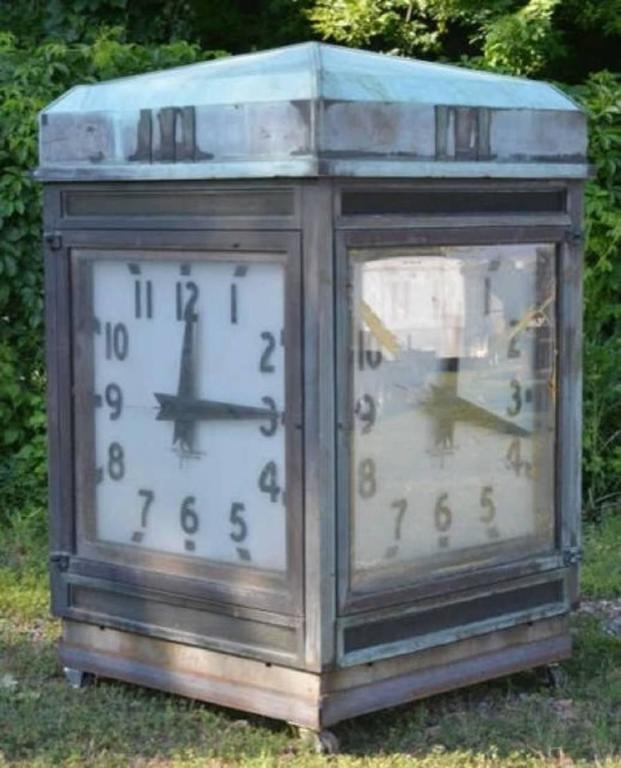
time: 12:14
